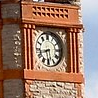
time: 8:29
